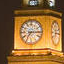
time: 7:14
